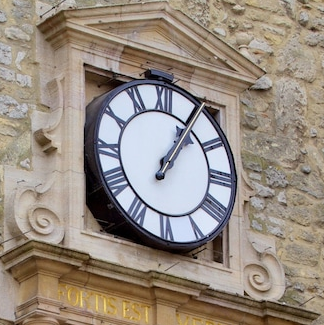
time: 1:05
